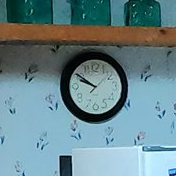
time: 9:50
